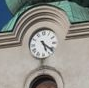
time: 5:21
